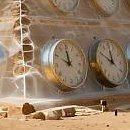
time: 11:49
